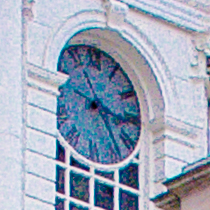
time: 3:24
